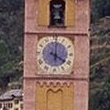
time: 4:01
